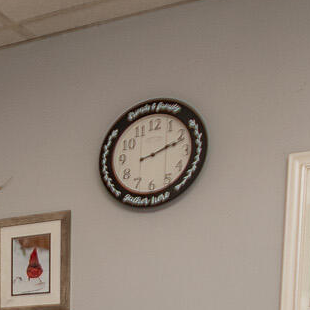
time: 2:11
